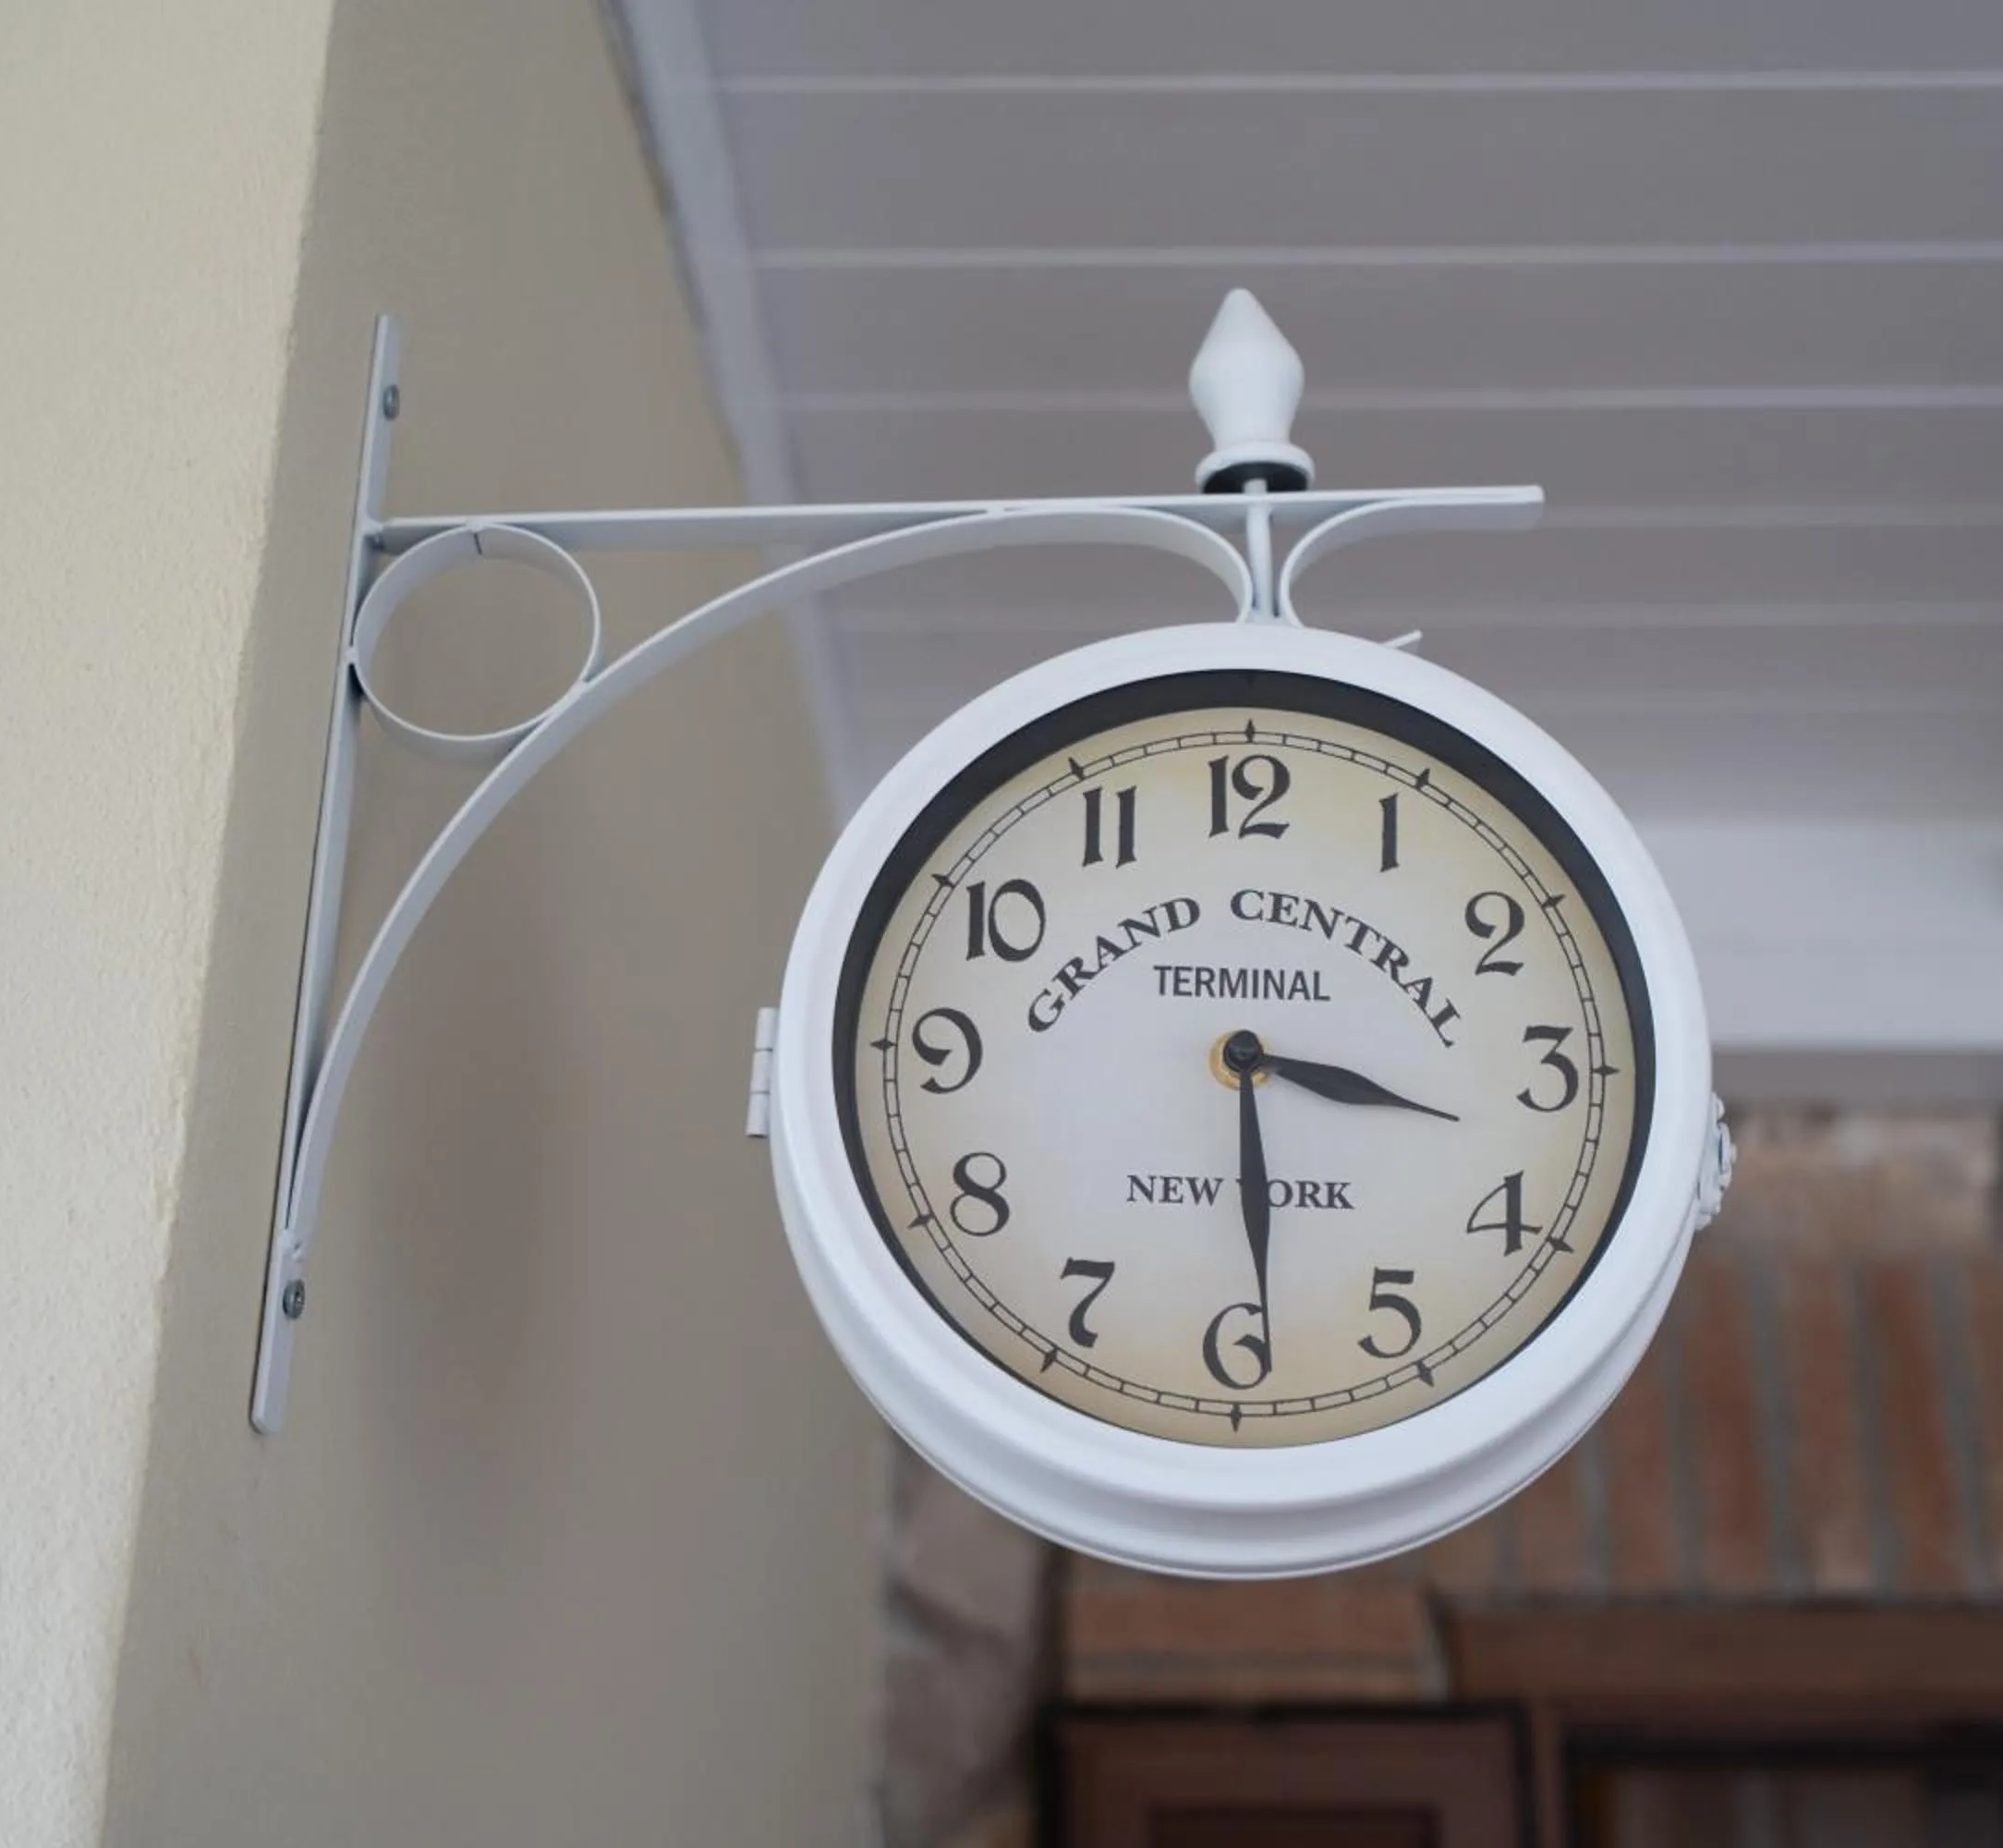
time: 3:29
